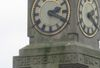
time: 2:19
